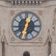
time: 12:32
